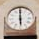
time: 5:59
